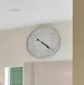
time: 4:21
